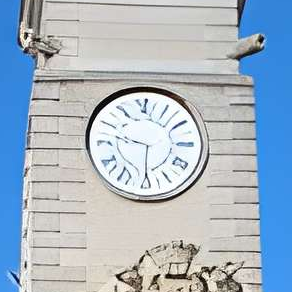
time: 9:30
